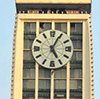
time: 5:04
